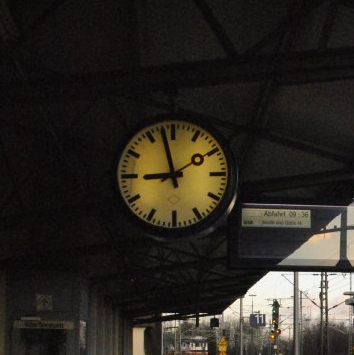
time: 8:57
